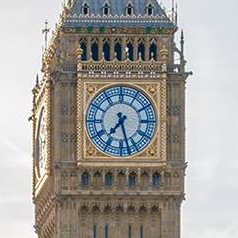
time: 7:27
